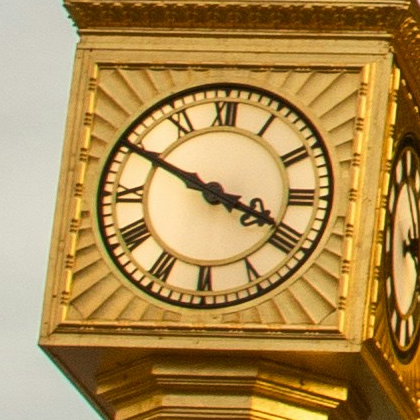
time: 3:49
